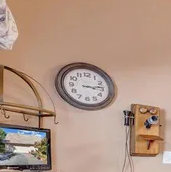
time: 3:13
